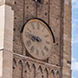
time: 8:46
